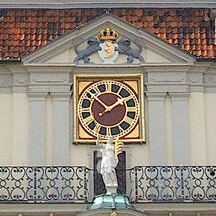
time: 1:51
